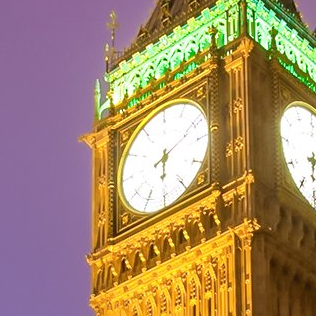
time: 6:11
